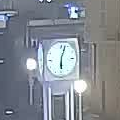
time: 6:03
